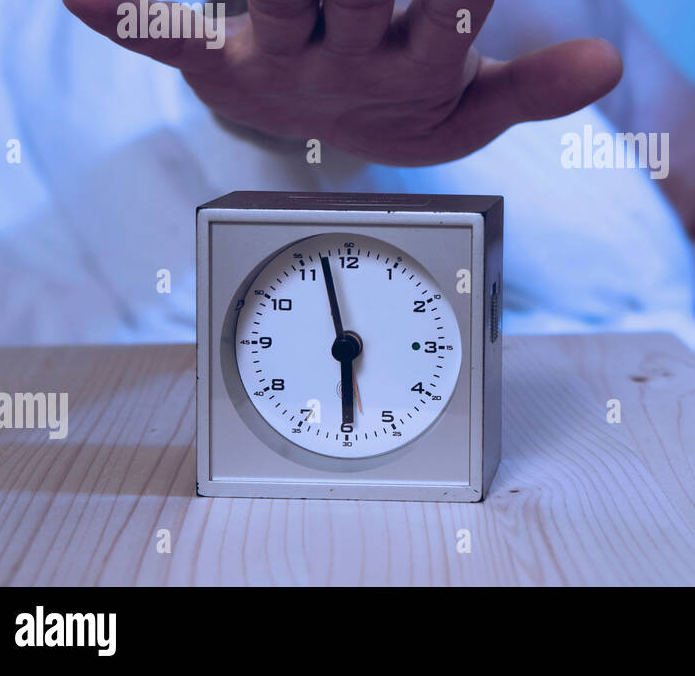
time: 5:57
